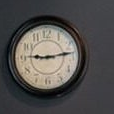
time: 9:13
